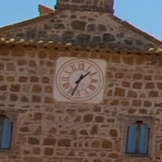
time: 1:33
